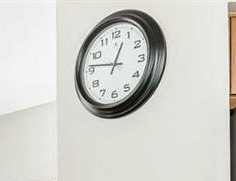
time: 12:46
